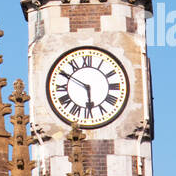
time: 5:50
